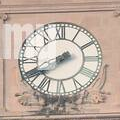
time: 7:40
